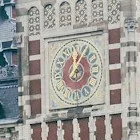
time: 12:04
